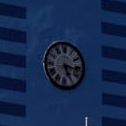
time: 5:16
